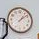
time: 1:08
